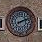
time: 2:11
